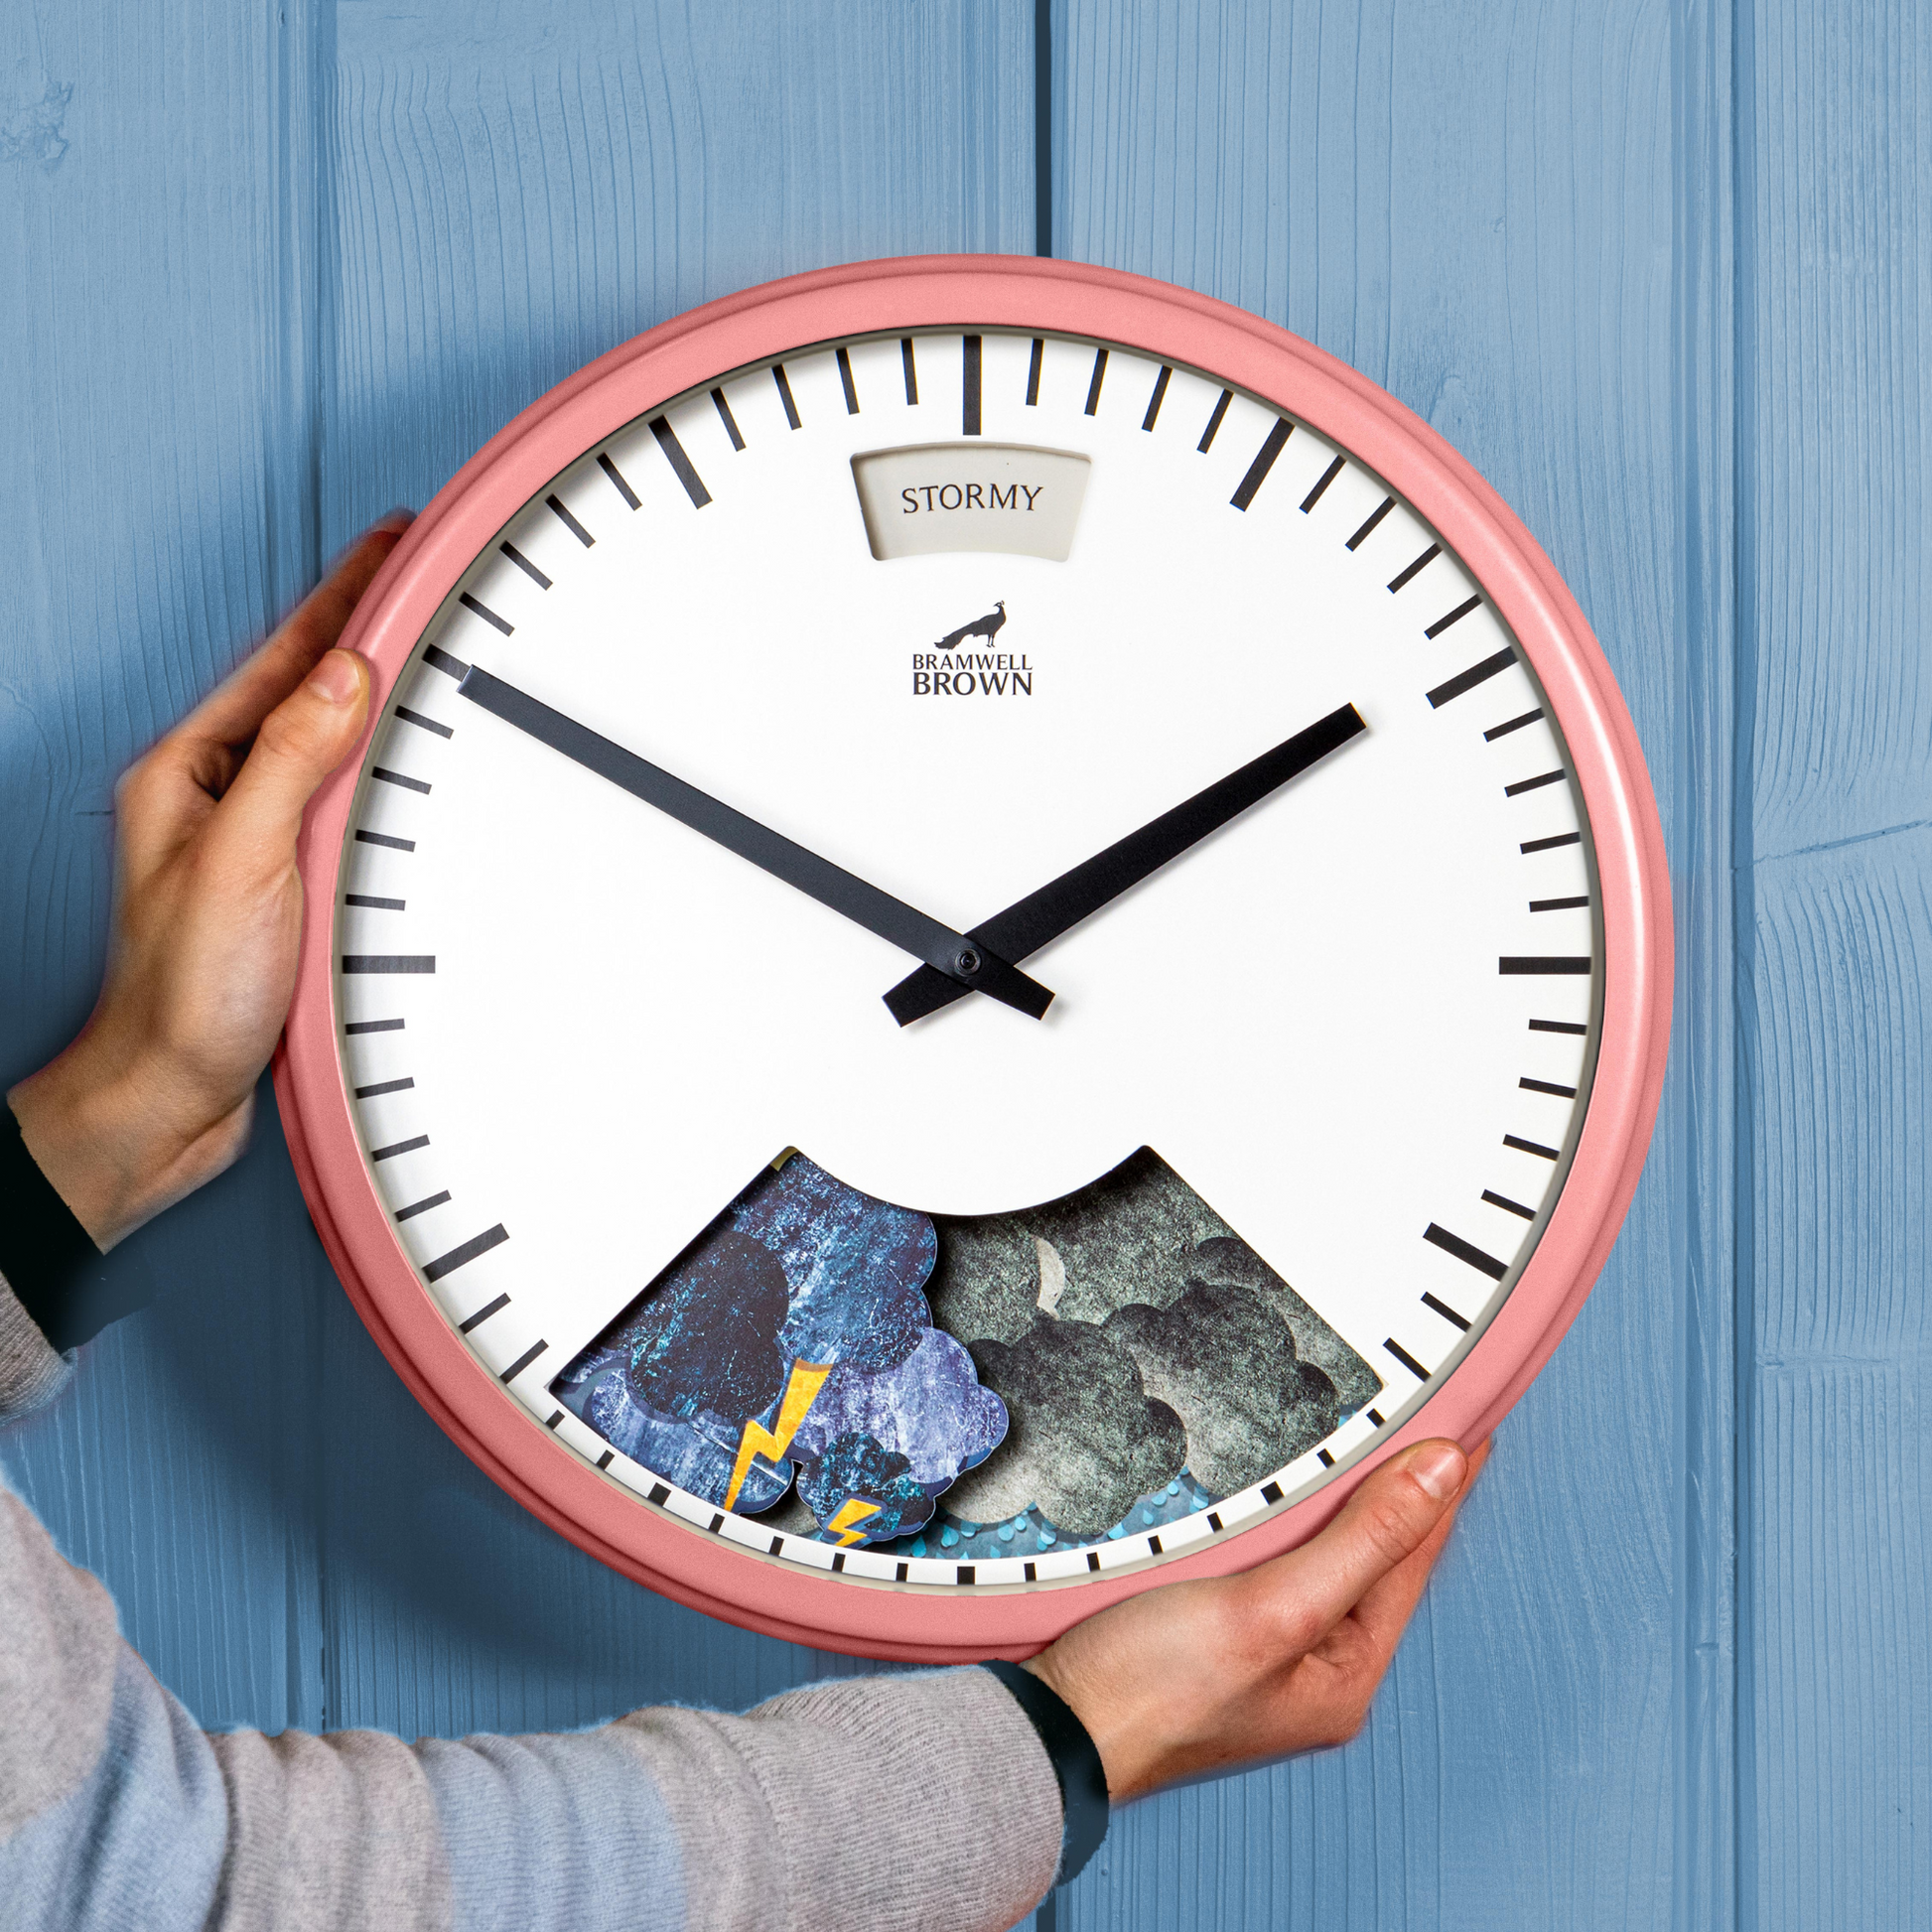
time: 1:50
